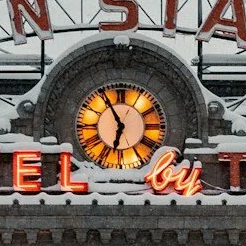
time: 6:55
